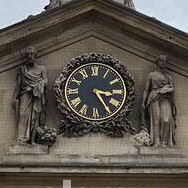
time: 3:24
